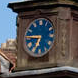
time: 6:46
